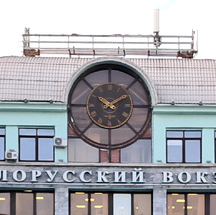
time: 1:52
